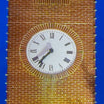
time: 7:36
